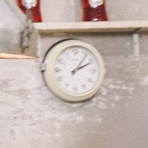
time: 2:06
